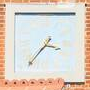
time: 3:37
